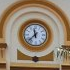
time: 11:37
